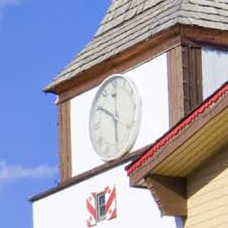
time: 5:50
